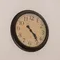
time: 4:23
